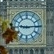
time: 9:14
